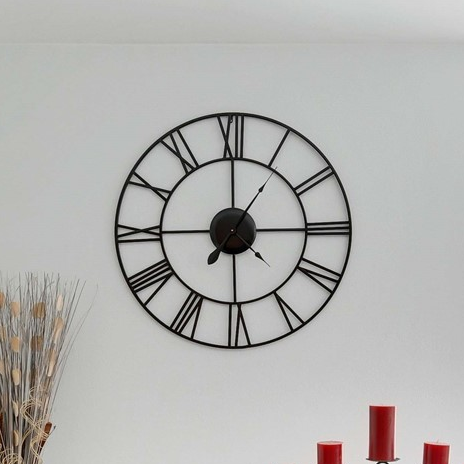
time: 7:15
